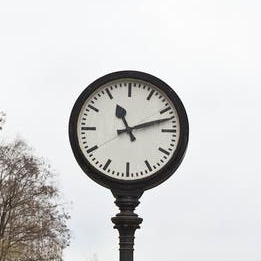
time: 11:12
